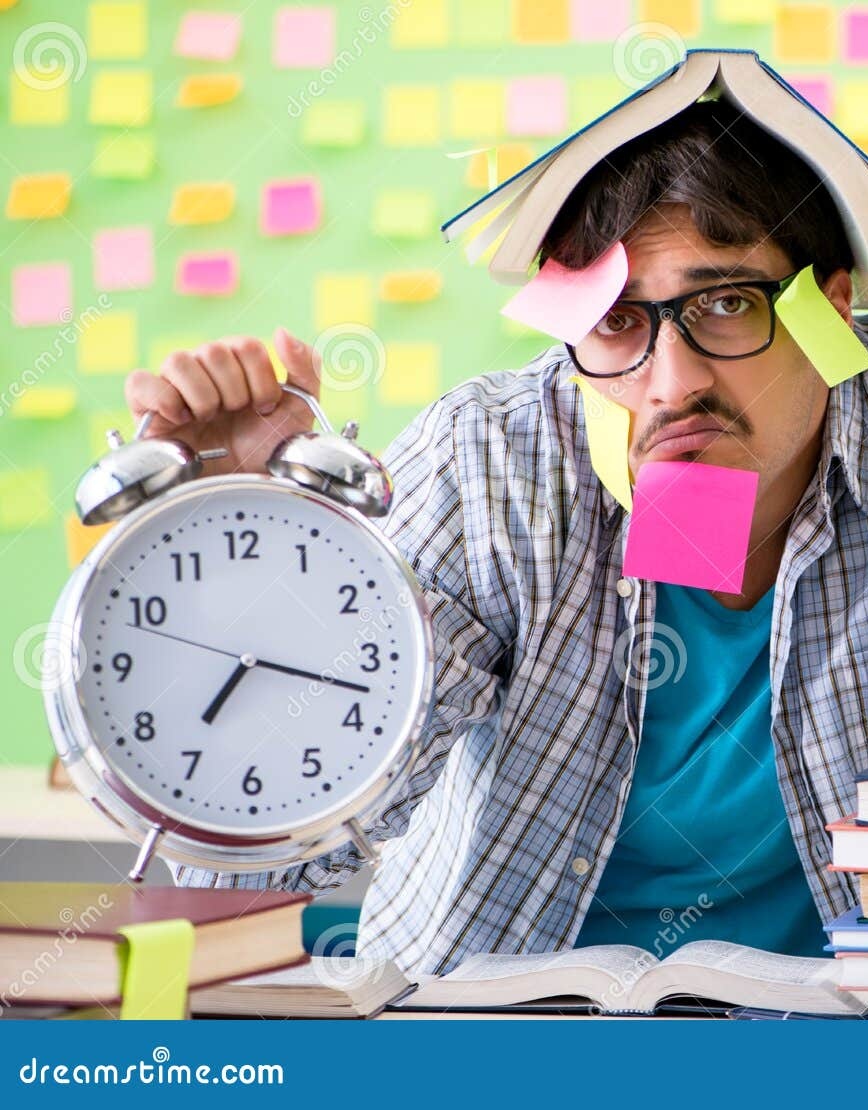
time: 7:17
